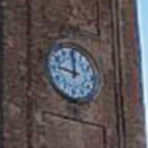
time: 11:46
